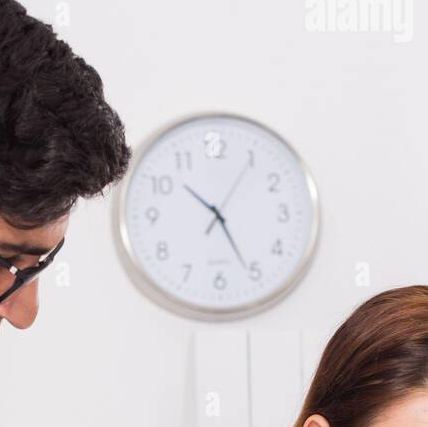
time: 10:25
